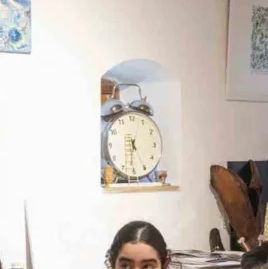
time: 4:31
